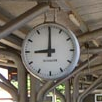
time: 9:00
